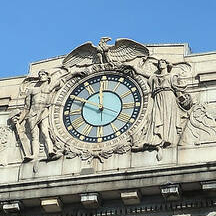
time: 11:48
